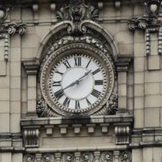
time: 1:40
